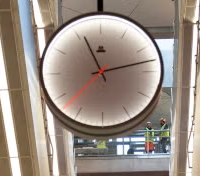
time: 11:13
